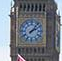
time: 2:06
